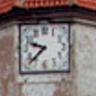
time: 9:37
